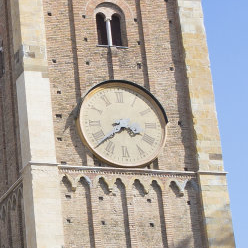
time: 3:38
